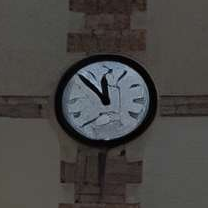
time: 11:52
